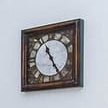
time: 11:25
